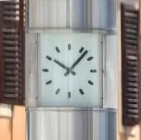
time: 10:07
